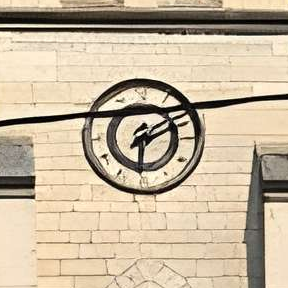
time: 6:10
